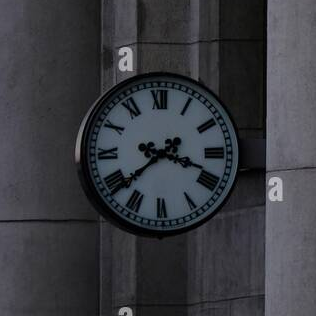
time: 3:38
